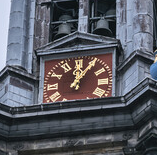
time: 12:05
